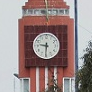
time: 9:30
